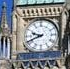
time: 9:41
